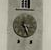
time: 12:26
